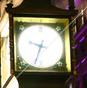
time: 9:33
